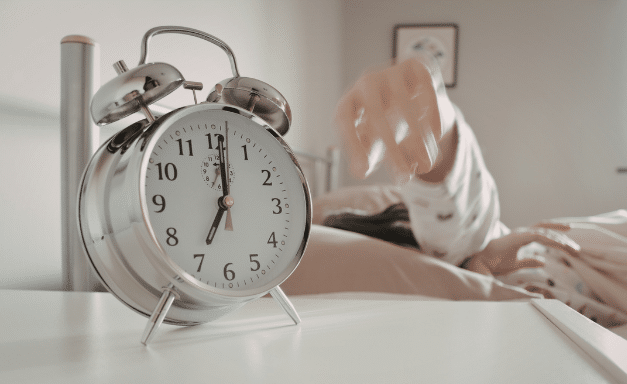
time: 7:00
